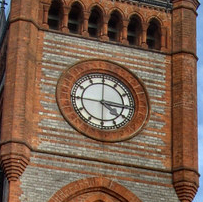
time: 4:15
